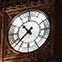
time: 10:37
